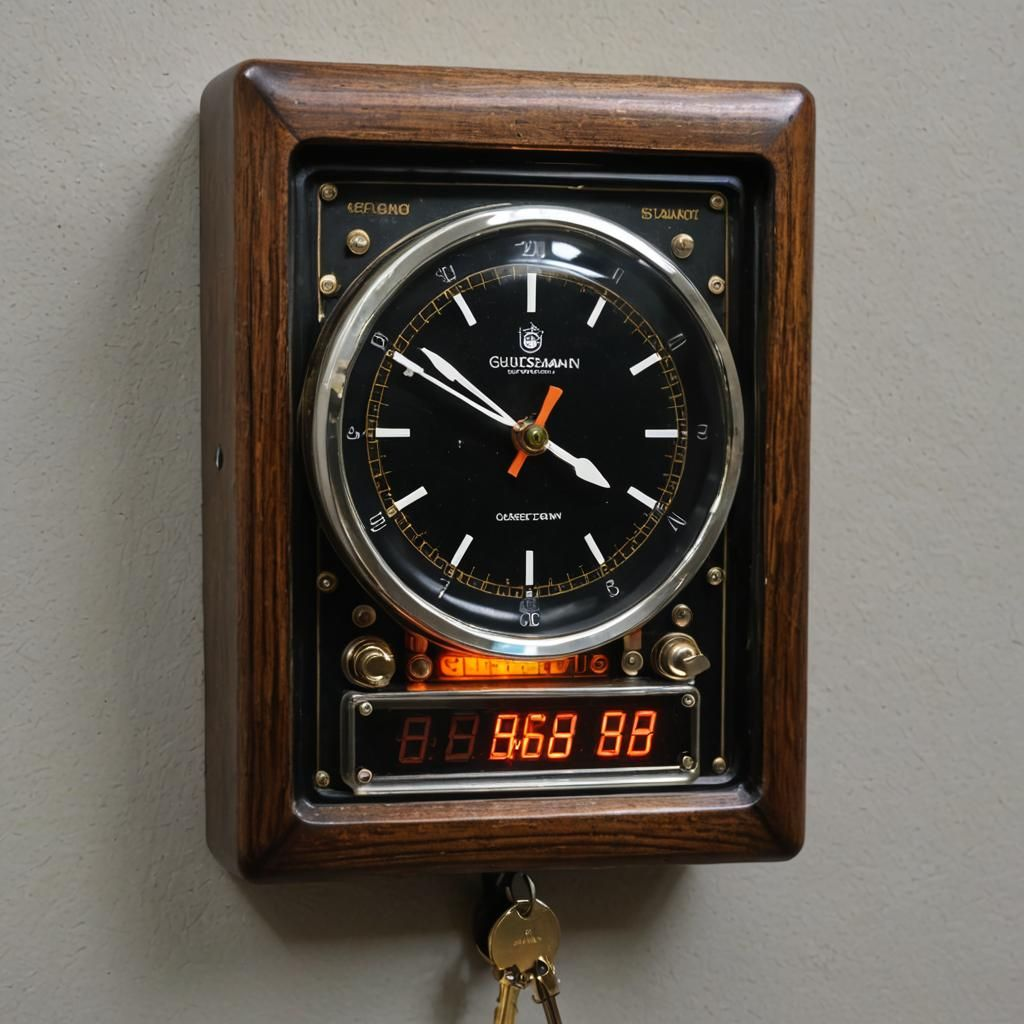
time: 3:50
